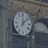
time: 12:07
